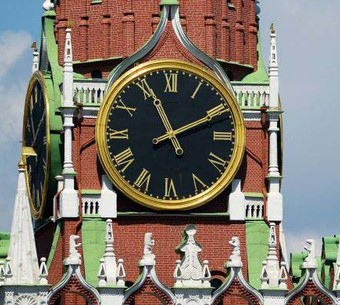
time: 11:10
